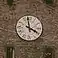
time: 3:58
